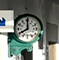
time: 8:00
